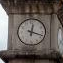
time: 12:18
